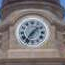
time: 1:36
